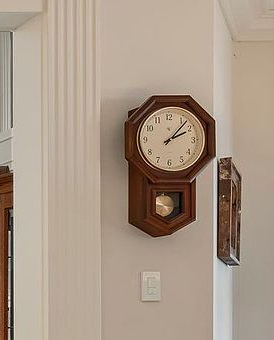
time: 2:07
